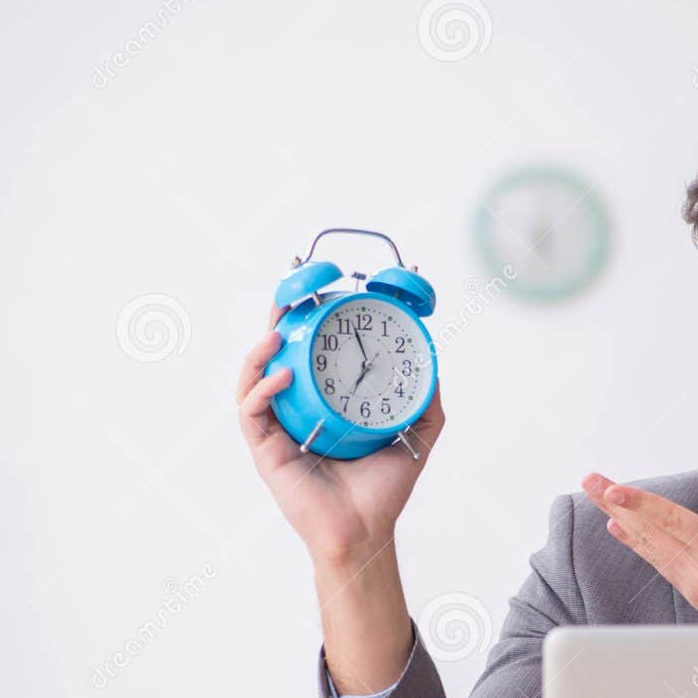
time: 6:57
